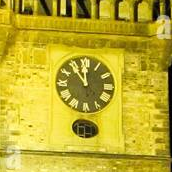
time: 11:53
